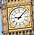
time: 9:07
